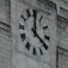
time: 4:00
